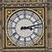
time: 3:12
